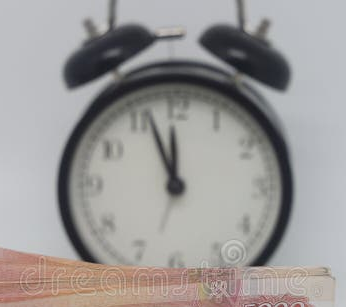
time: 11:56
